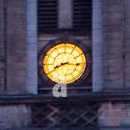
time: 8:16
